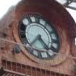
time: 4:37
